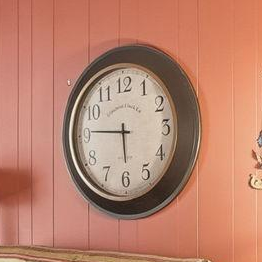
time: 5:45
